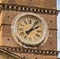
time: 2:06
